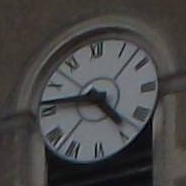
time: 4:46
